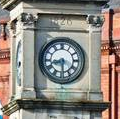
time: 8:29
